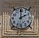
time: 2:00
